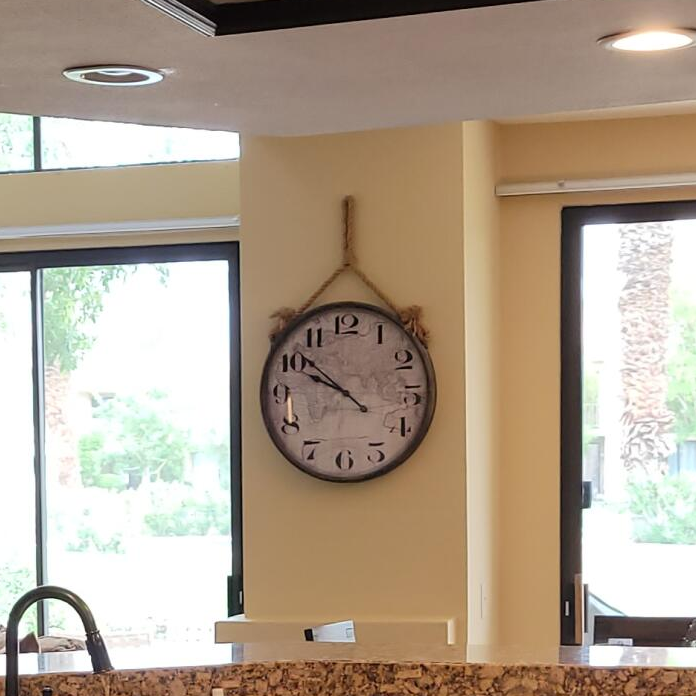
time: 9:51
